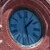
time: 1:27
